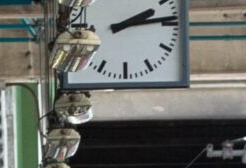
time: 2:13
